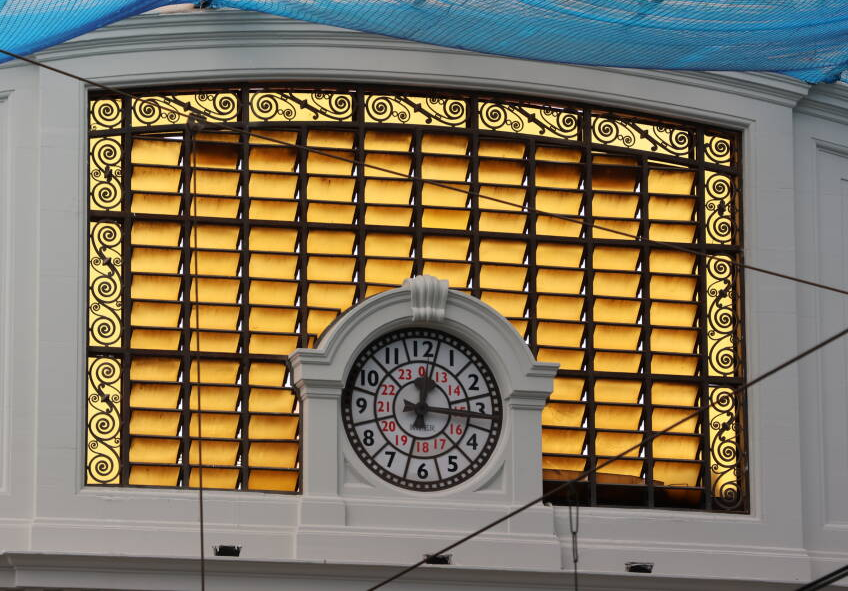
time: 12:16
